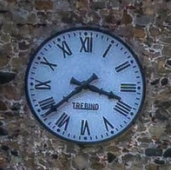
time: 3:38
